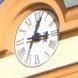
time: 3:02
